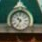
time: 10:34
